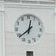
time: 12:38
